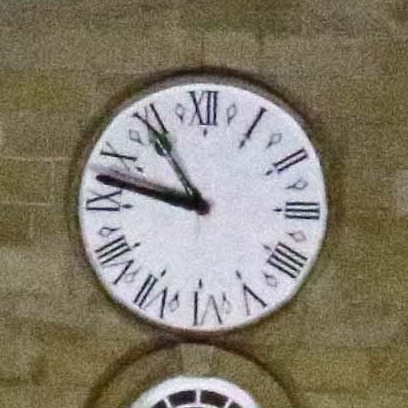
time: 10:47
